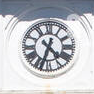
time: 4:33
